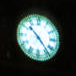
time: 10:23
